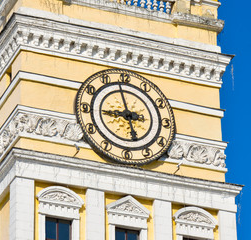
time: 8:57
